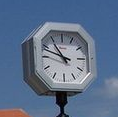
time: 10:48
